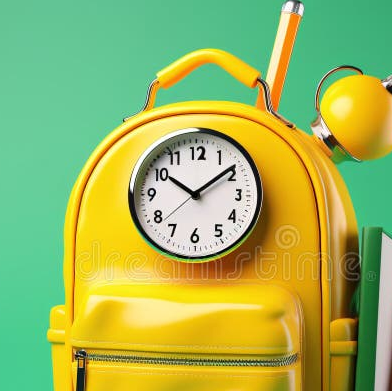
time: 10:08
